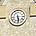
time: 5:28
